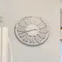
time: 2:42
